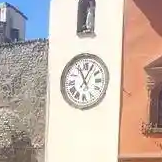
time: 11:04
